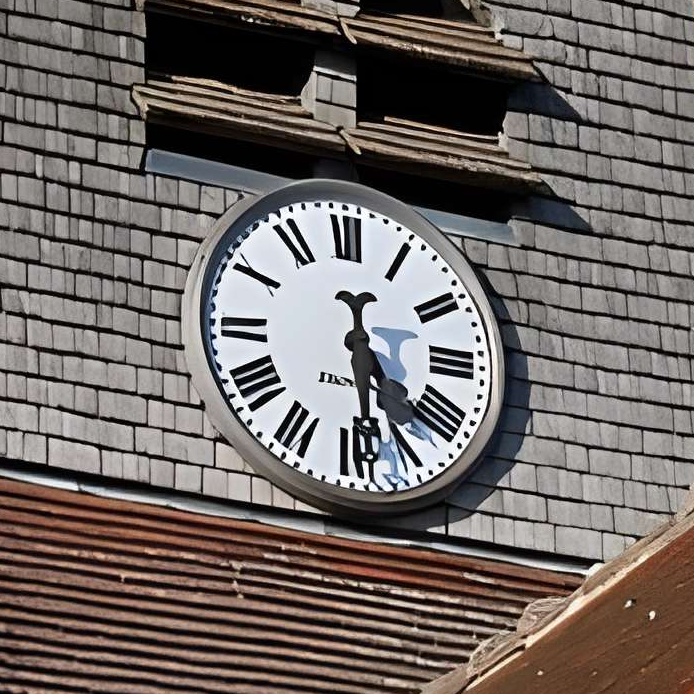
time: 4:28
